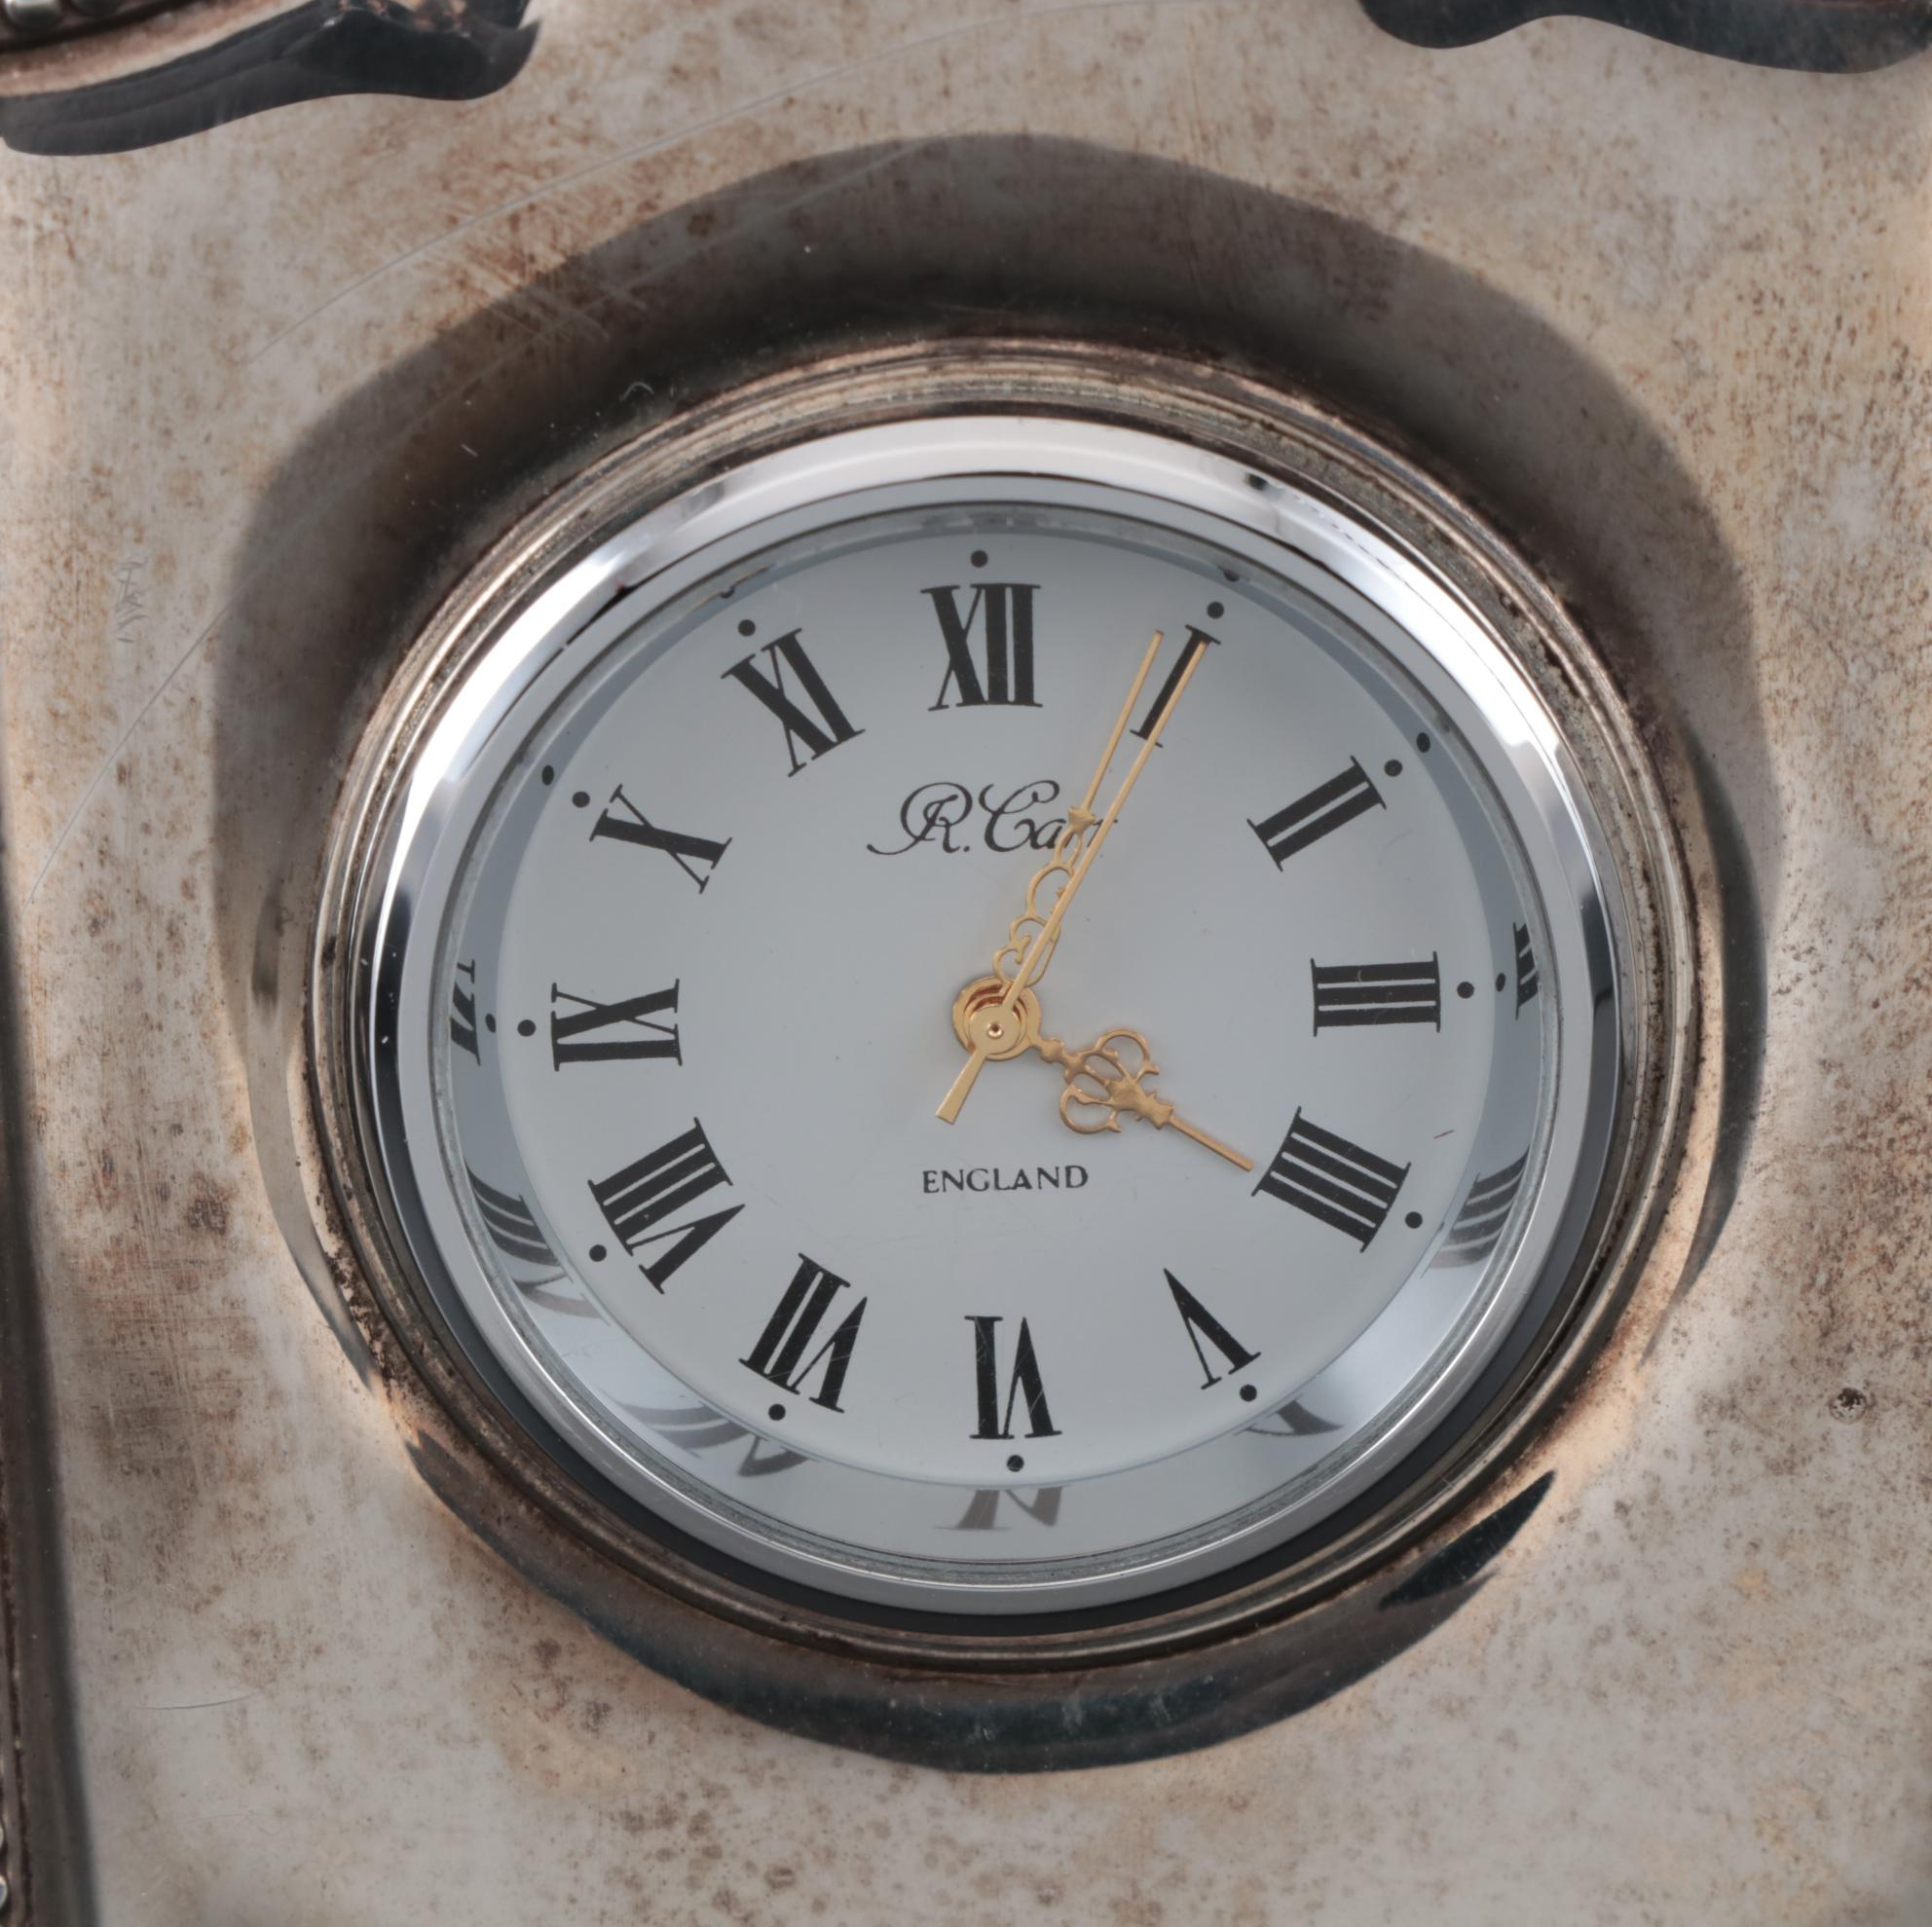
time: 4:04
